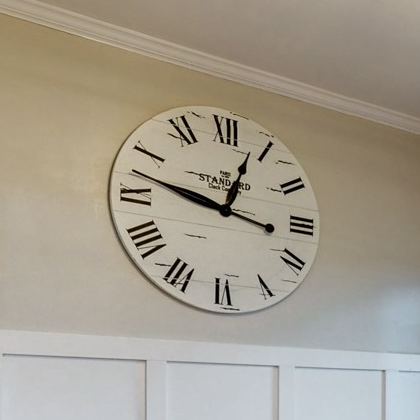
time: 12:47
